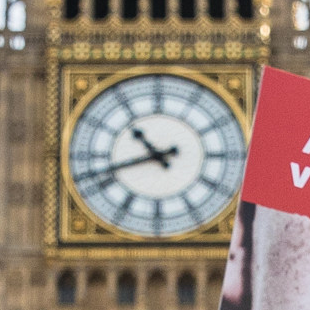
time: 10:42
